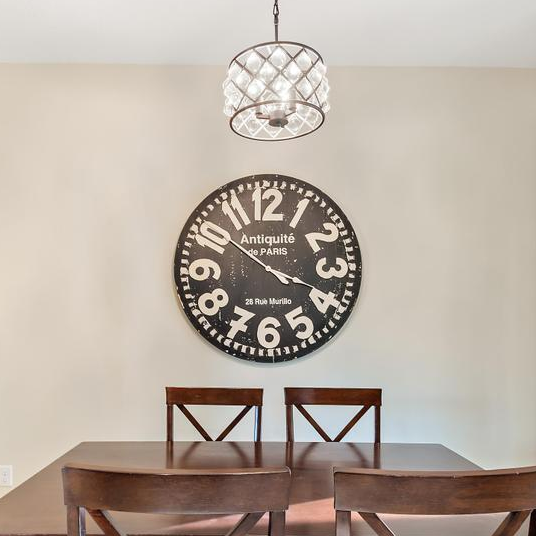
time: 3:51
